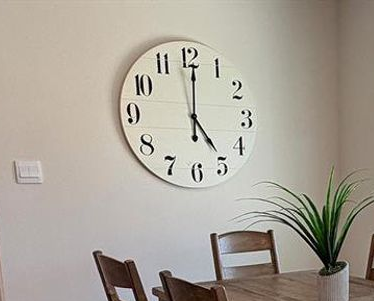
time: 5:00
